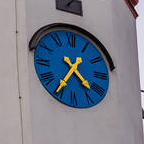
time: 4:35
